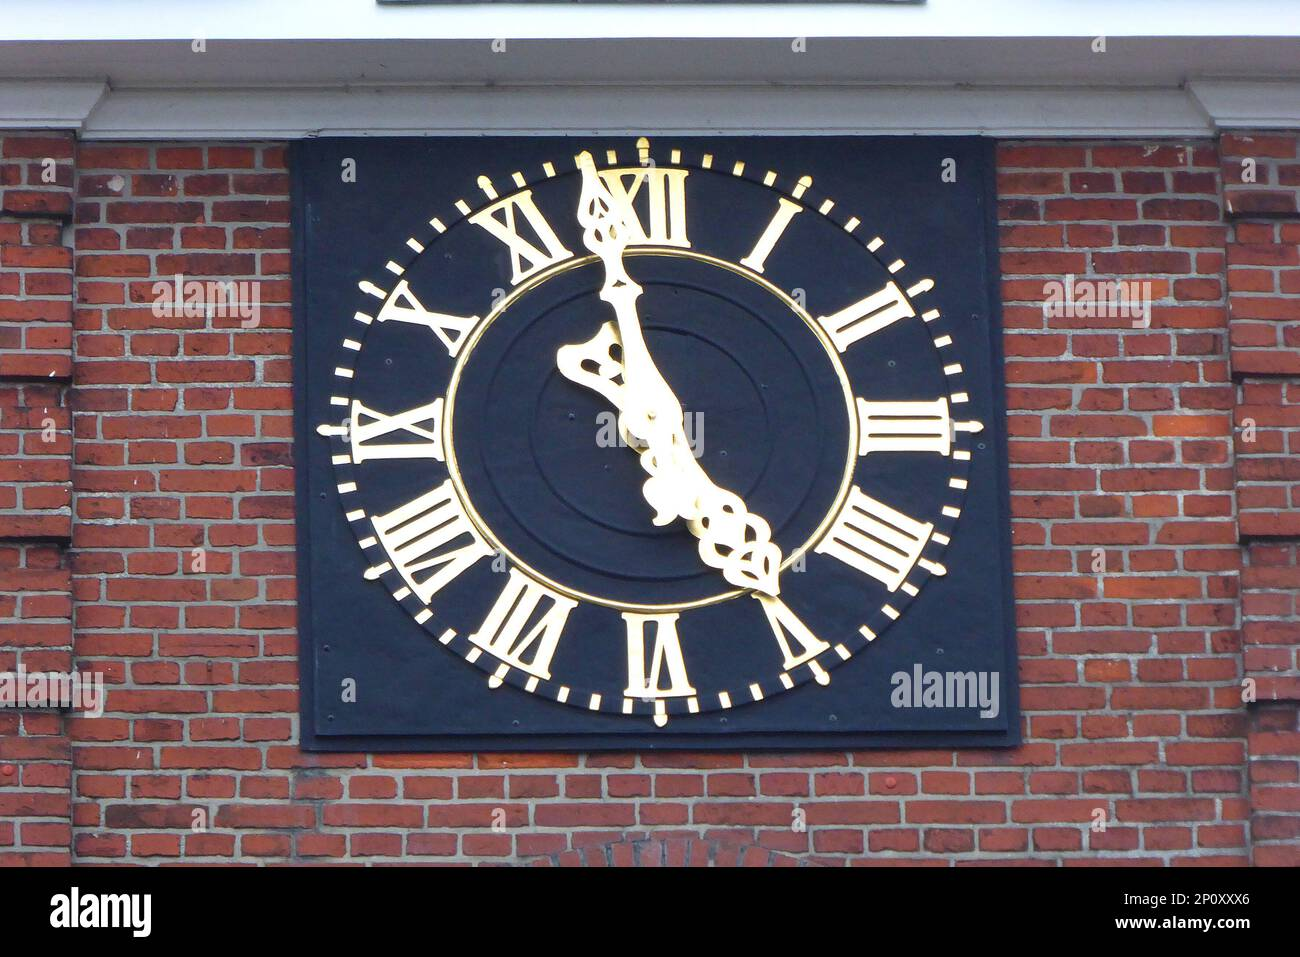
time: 4:57
